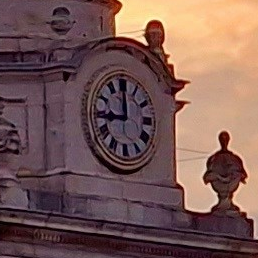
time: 11:44
